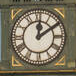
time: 12:09
